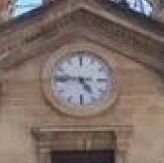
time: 4:46
